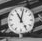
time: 11:02
